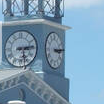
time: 3:13
